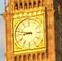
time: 8:47
